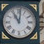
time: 11:01
